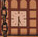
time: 5:30
